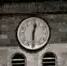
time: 12:30
